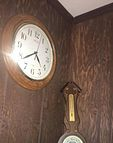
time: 4:38
